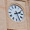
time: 2:25
